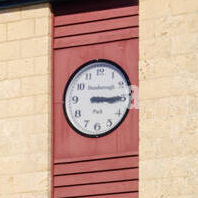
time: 3:15
